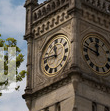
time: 11:46
